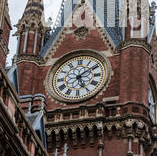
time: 5:09
